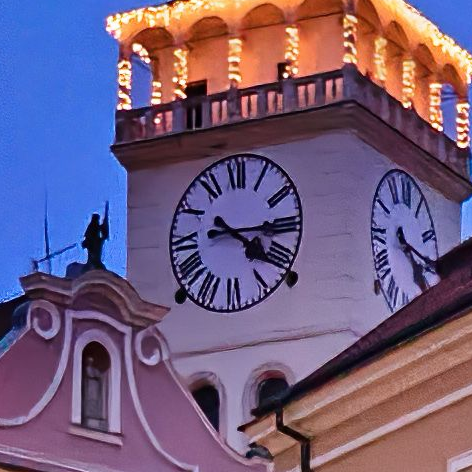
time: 4:14
